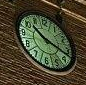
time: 10:17
